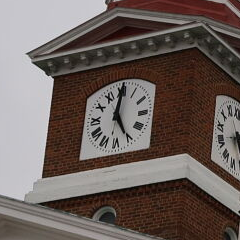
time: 5:00
